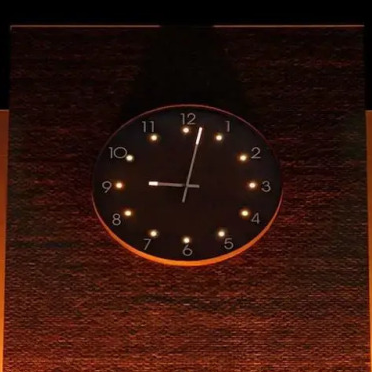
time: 9:01
